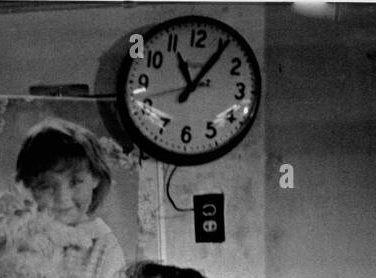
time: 11:05
